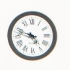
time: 4:47
